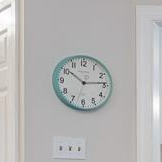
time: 10:13
